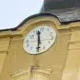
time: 11:28
